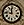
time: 11:46
